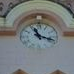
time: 11:18
